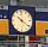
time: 10:21
